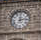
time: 12:13
